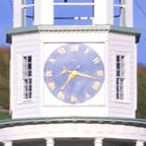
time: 7:17
